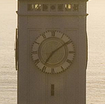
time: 7:09
